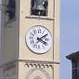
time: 4:09
